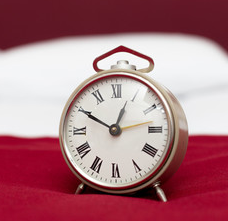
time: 12:49
